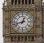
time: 12:42
